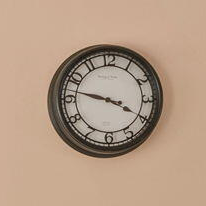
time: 3:47
